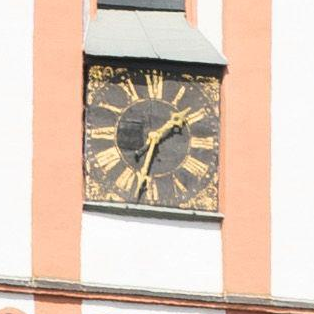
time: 1:32
